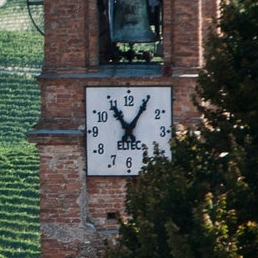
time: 11:05
